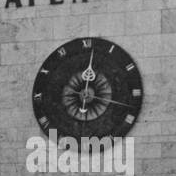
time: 12:01
